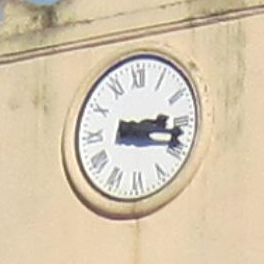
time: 3:17
